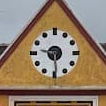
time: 9:29
